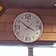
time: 3:51
